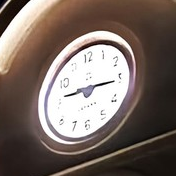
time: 9:15
